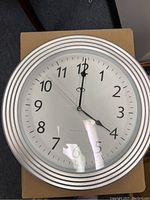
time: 4:00
